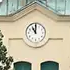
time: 11:00
